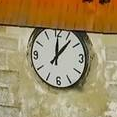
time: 12:07
